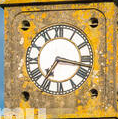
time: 7:17
